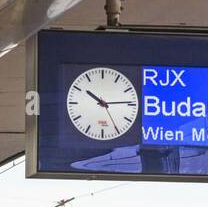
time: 10:14
